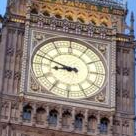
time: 8:48
